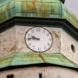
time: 9:45
